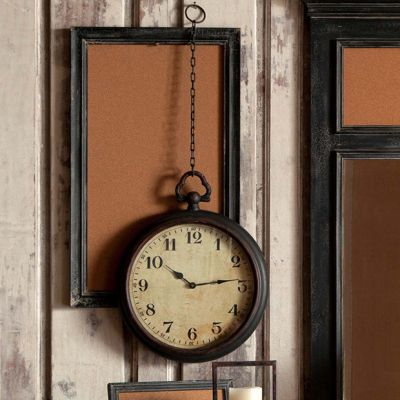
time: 10:14
